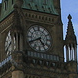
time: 4:40
